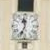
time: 11:33
